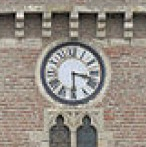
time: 3:29
